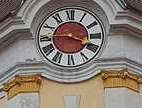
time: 3:45
